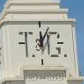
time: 12:04
